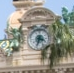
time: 3:32
